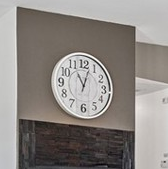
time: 11:02
